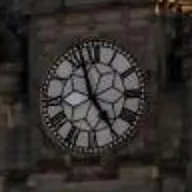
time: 4:57
